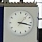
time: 3:17
